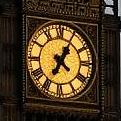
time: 7:04
